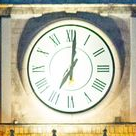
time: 7:01
